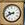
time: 9:41
